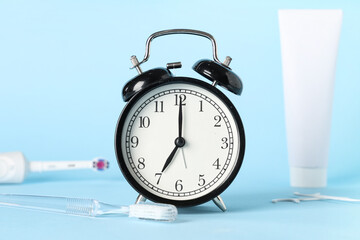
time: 7:00
